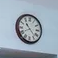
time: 10:40
